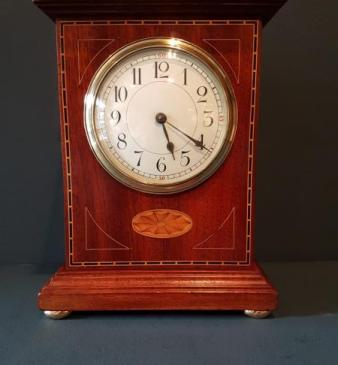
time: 5:20
